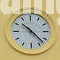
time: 10:22
